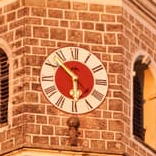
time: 5:52
